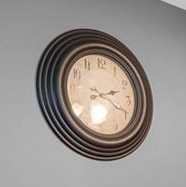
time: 2:18
